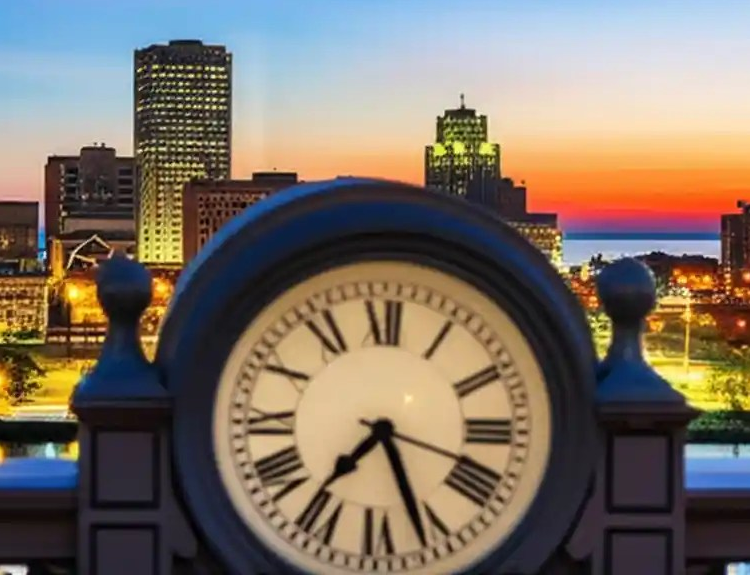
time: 7:26
